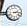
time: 2:15
